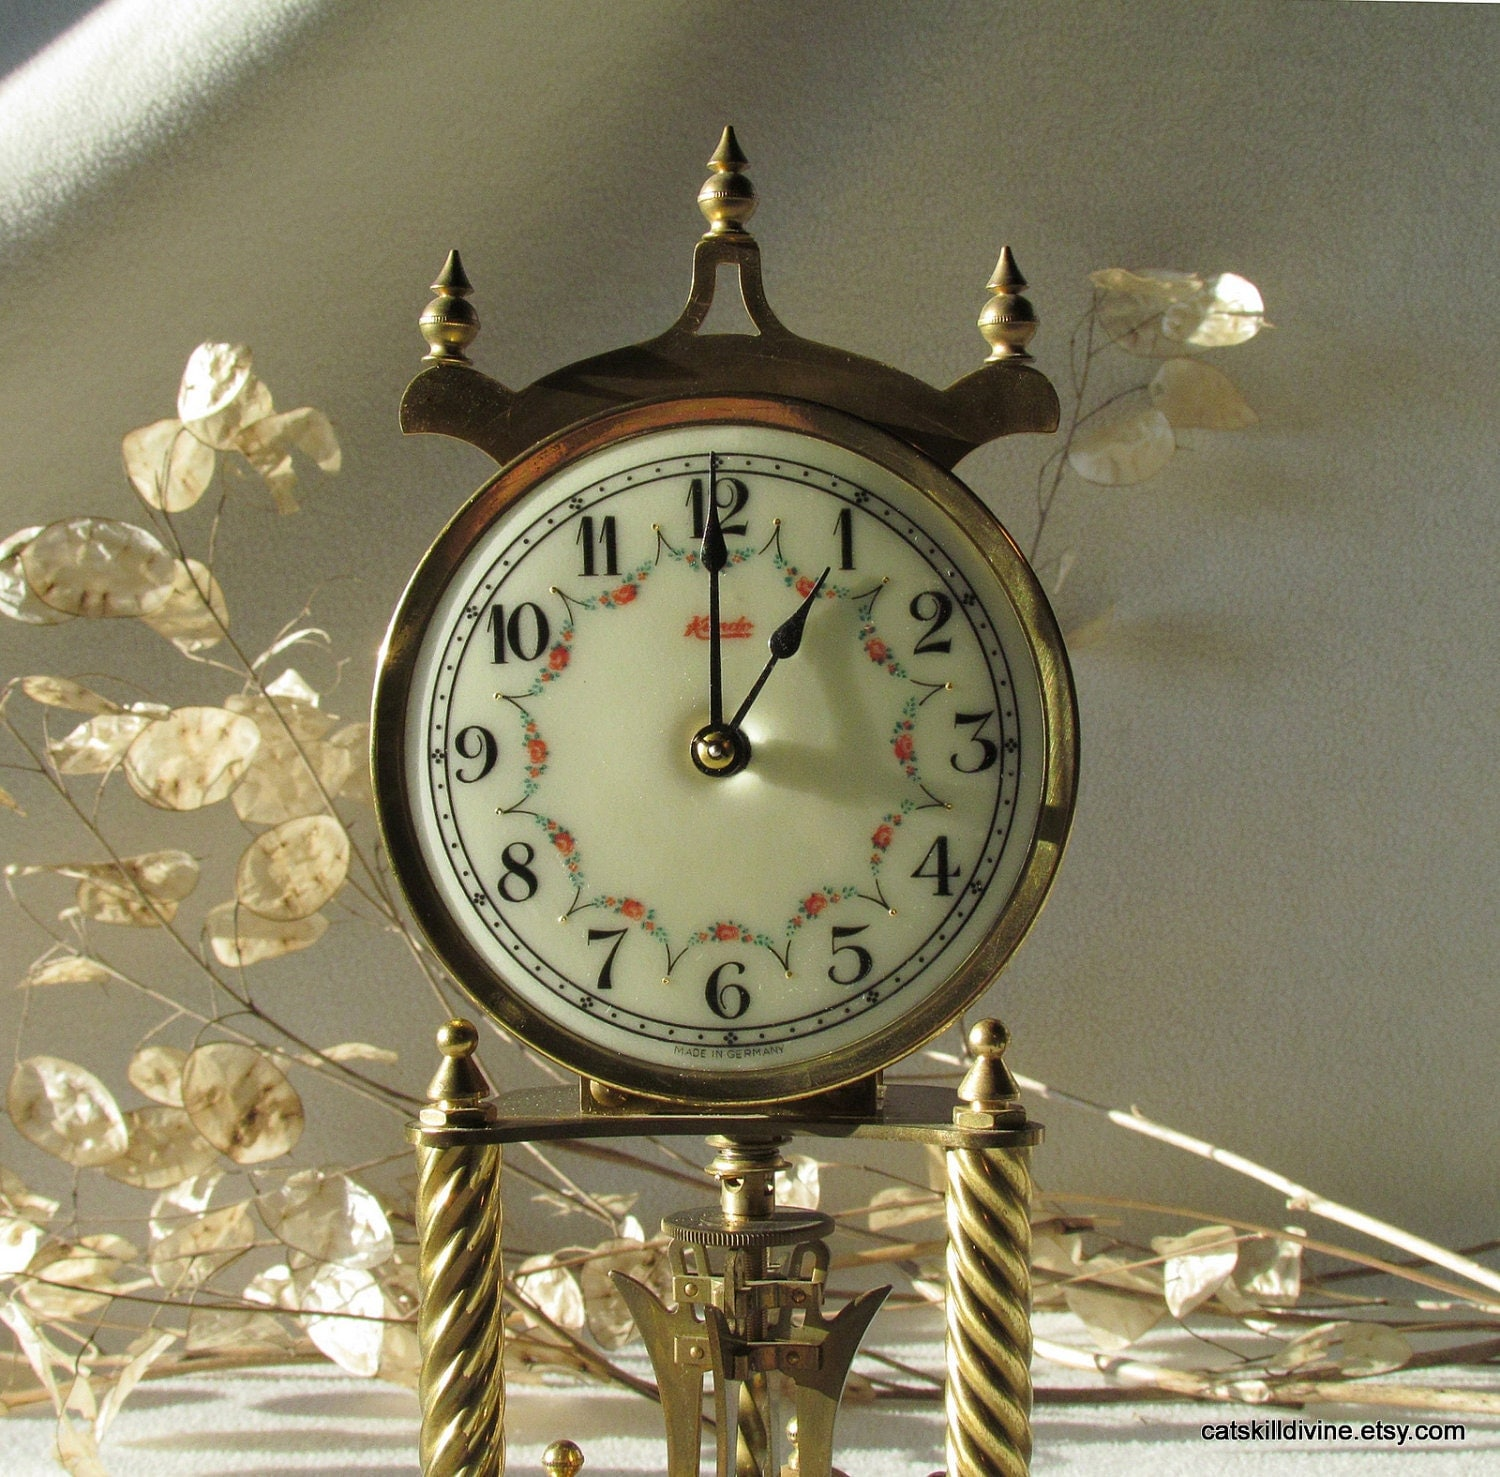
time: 1:00
